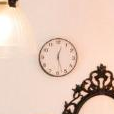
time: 12:27
